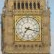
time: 7:17
